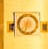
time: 12:33
